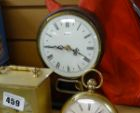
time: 3:44
